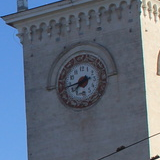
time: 7:42
